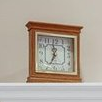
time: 6:59
